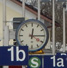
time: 12:14
